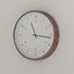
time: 11:16
